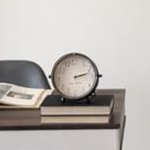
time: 2:12
